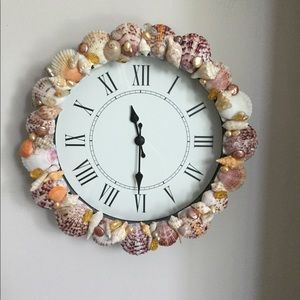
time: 11:30
